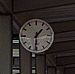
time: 1:30
